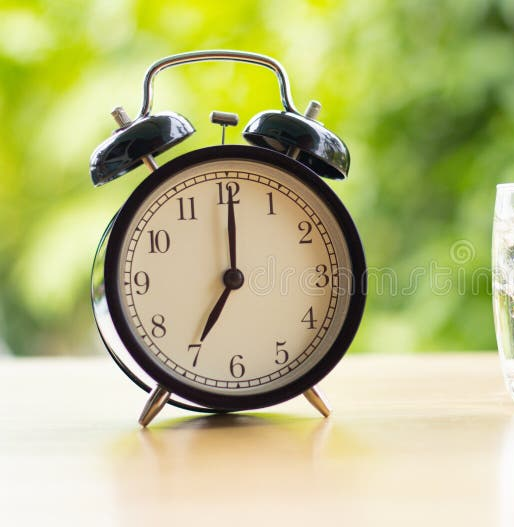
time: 7:00
